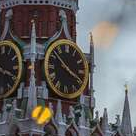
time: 3:51
